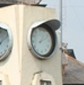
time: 1:11
